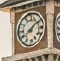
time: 8:09
